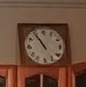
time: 10:54
